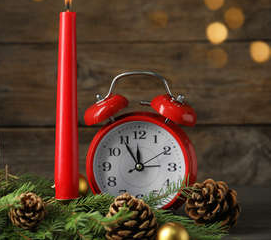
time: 11:54
